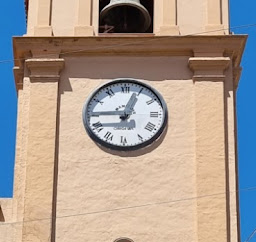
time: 12:45
